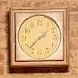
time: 1:37
